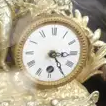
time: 3:24
